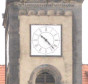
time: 10:22
